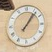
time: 1:06
